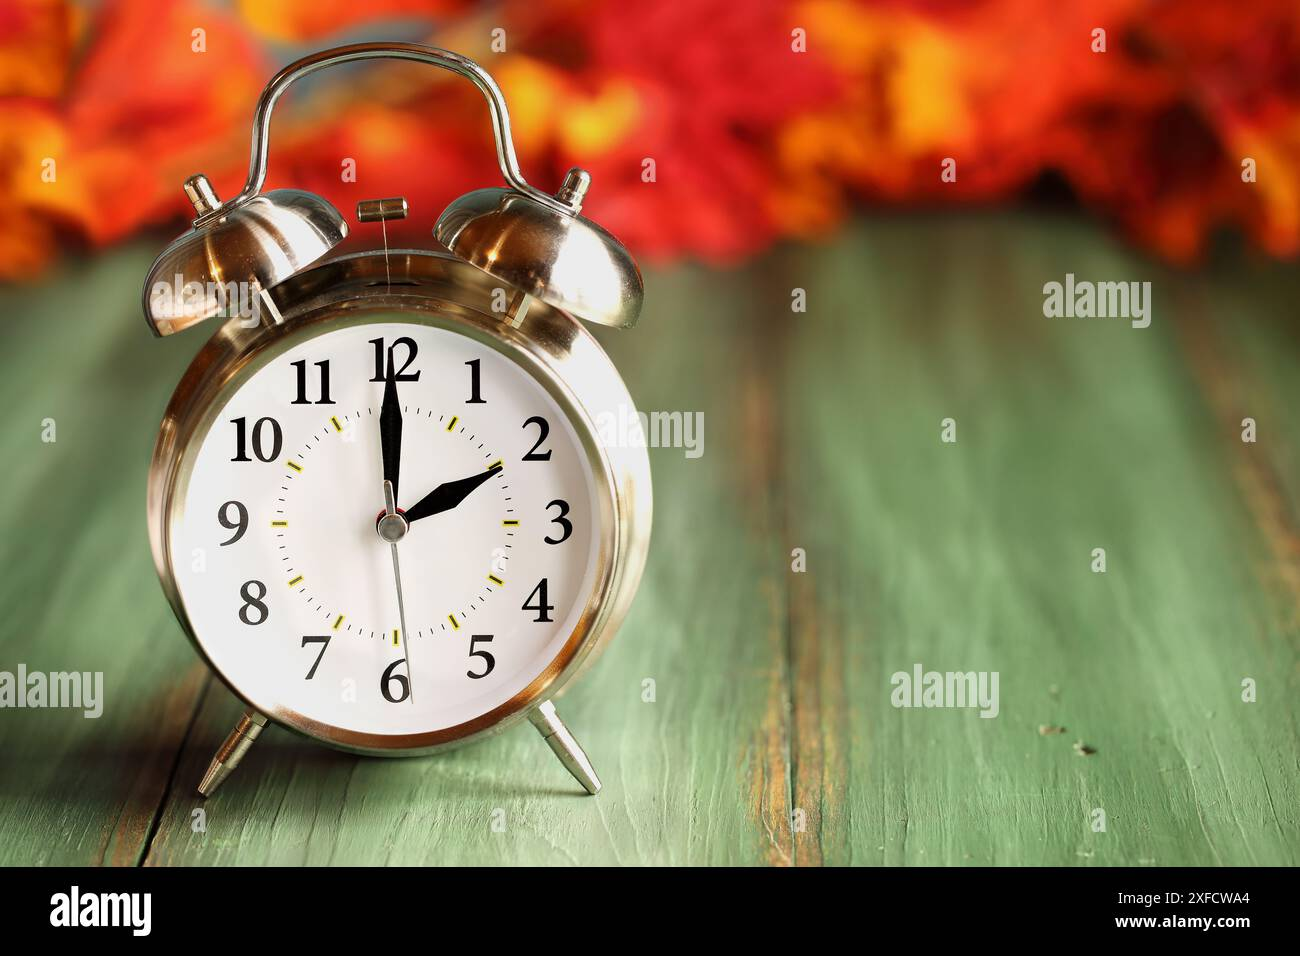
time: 2:00
